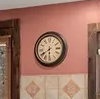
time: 5:40
